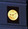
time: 9:11
